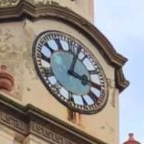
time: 3:02
